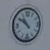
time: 10:50
